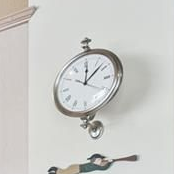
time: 12:07
